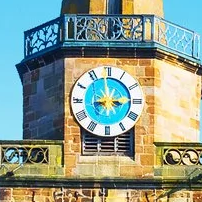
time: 2:58
